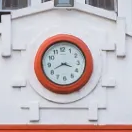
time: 3:41
